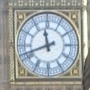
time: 11:41
